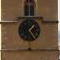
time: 1:24
